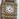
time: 4:07
